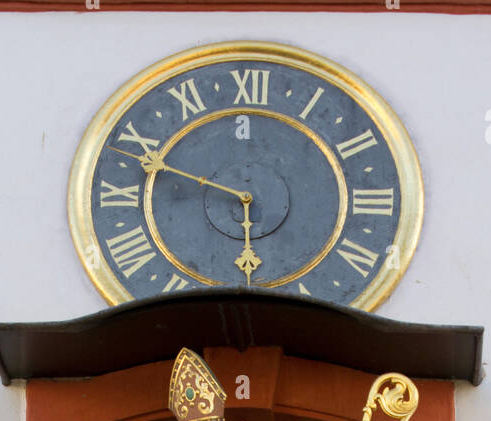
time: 5:48
